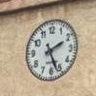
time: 2:26
